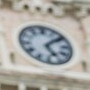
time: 5:08
